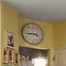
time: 3:44
